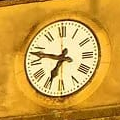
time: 6:47
